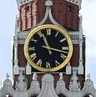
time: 11:17
